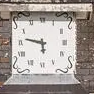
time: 5:47
